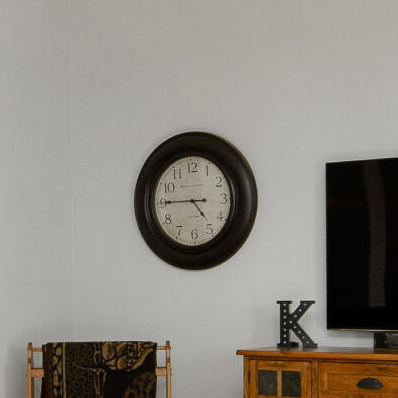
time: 4:45
